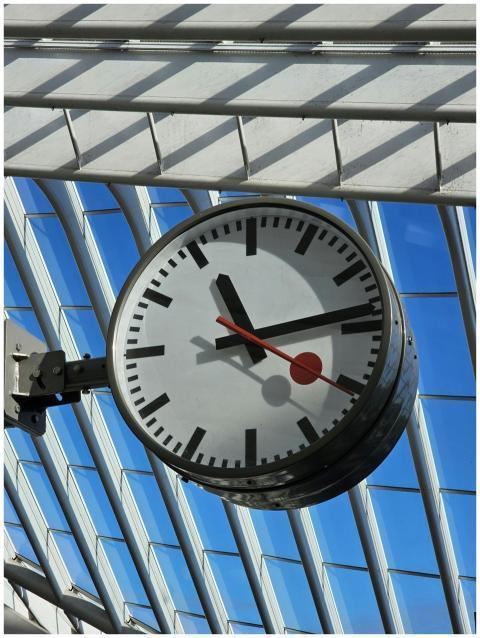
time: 11:13
